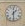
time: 1:29
